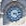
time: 3:22
